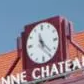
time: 11:22
